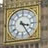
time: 3:24
